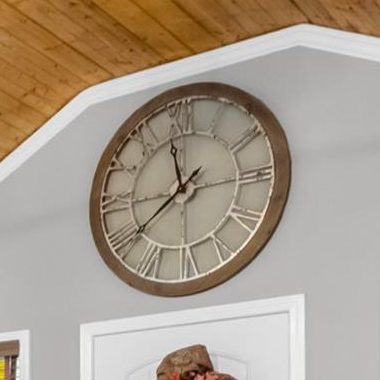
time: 11:39
